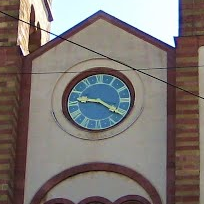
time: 9:20
